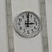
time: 3:01
